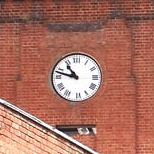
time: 10:47
